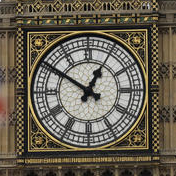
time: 12:50
